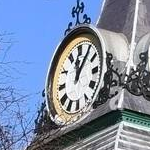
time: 12:07
